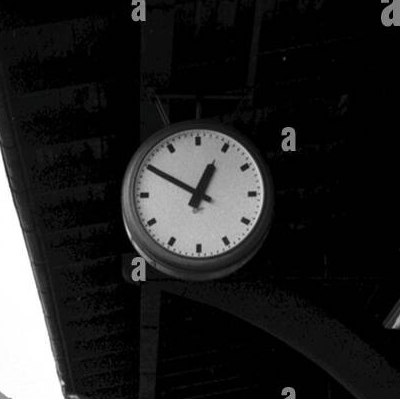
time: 12:49
